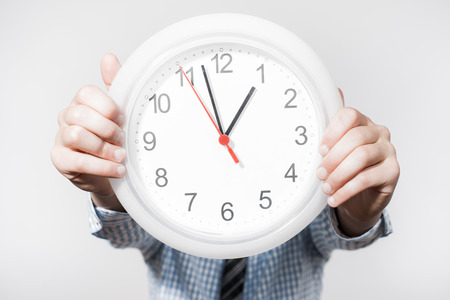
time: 12:57
